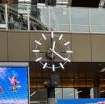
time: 12:21
